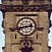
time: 2:42
